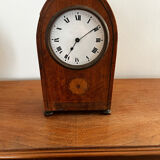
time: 7:09
